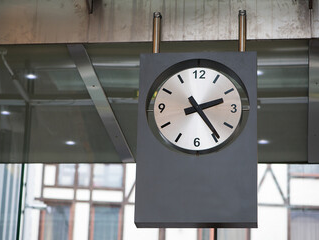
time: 2:23
